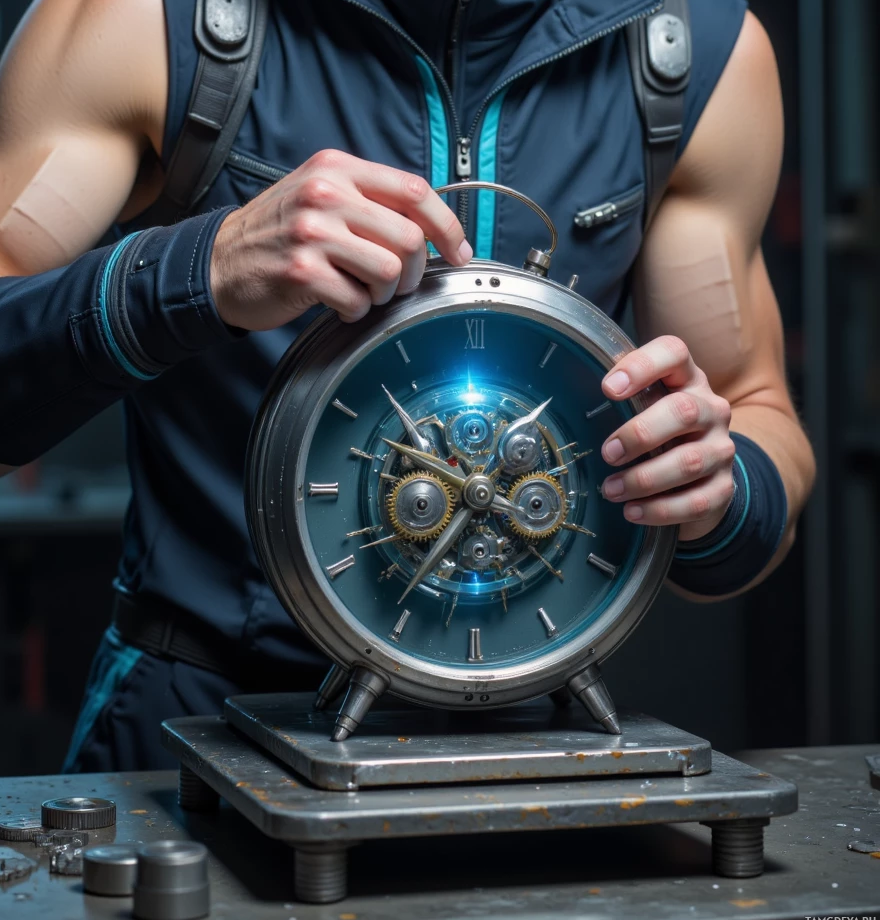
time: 10:35
